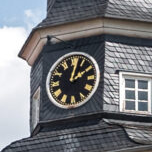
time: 2:02
